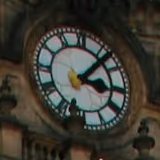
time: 3:06
